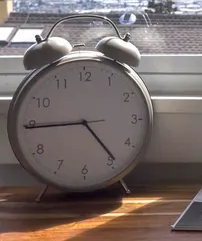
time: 4:44
